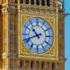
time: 10:41
